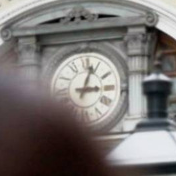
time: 3:03
